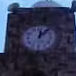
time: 12:07
